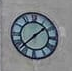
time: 1:37
